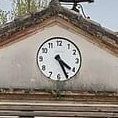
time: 4:25
